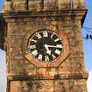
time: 5:15
